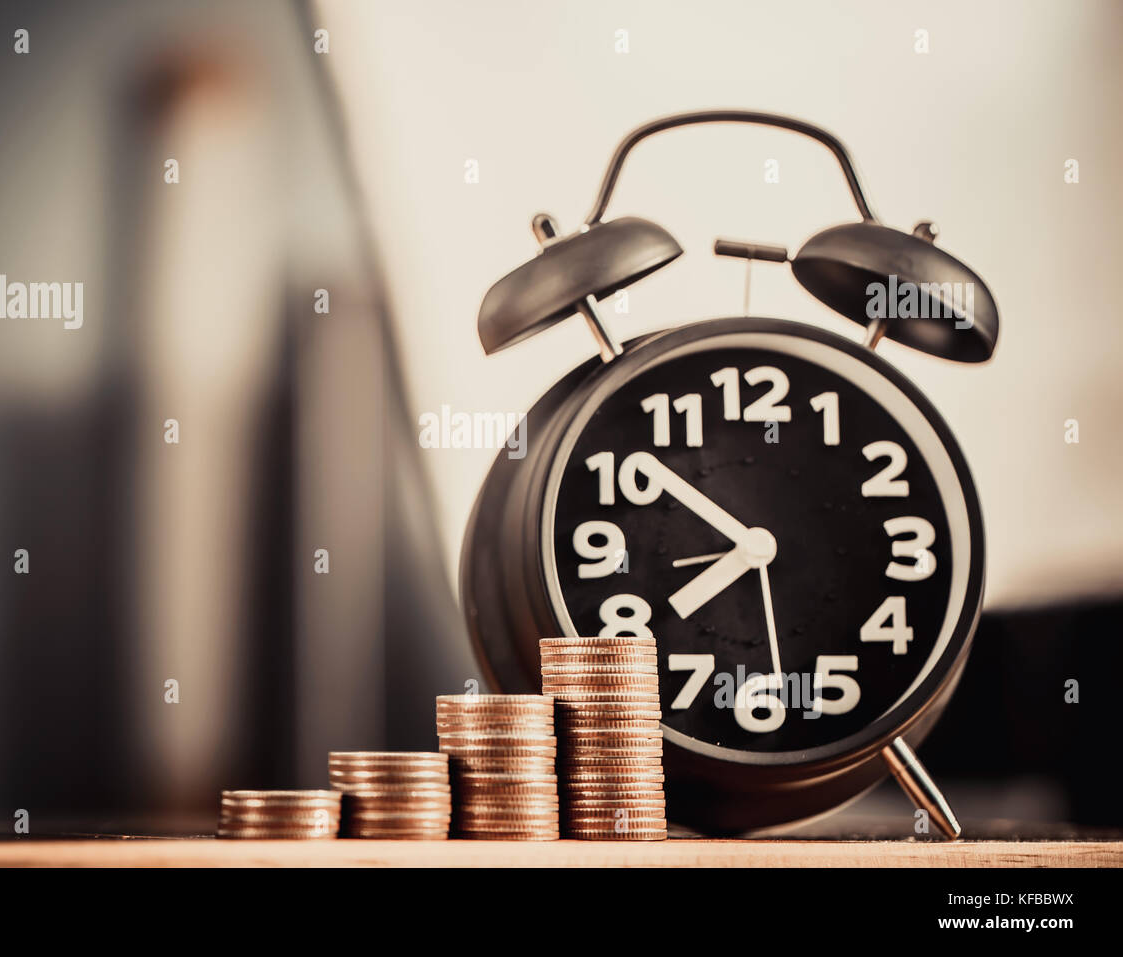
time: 7:52
